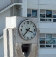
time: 3:37
